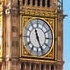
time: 11:25
